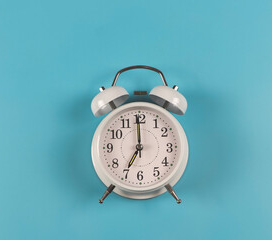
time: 6:59
